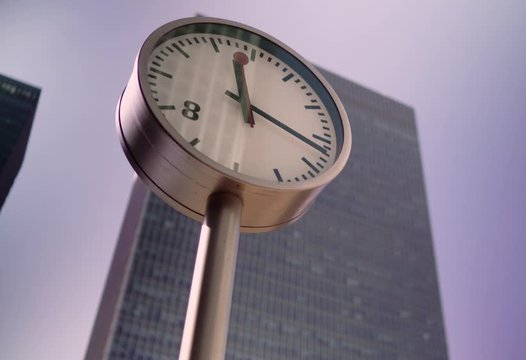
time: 12:21
